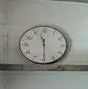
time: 11:29
